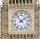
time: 1:53
